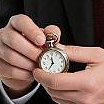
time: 11:35
